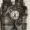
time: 5:35
